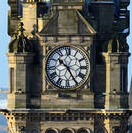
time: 10:24
